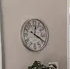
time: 12:19
